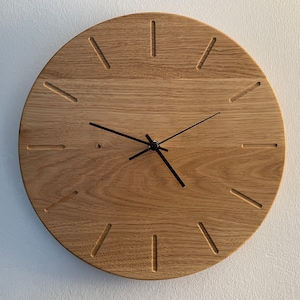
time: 4:48
